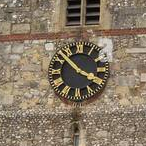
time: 3:52
